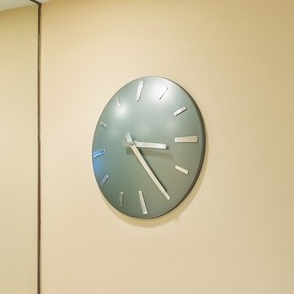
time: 3:24
